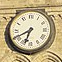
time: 6:40
